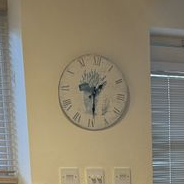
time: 1:29
